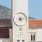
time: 4:12
